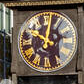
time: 10:02
